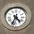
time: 4:33
